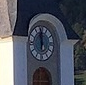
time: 5:59
